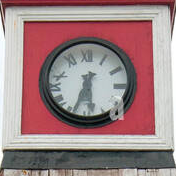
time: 5:33
